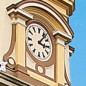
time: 3:06
